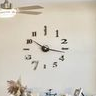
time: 10:17
